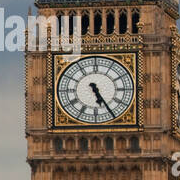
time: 5:24
